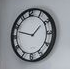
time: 1:47
